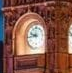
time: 9:43
